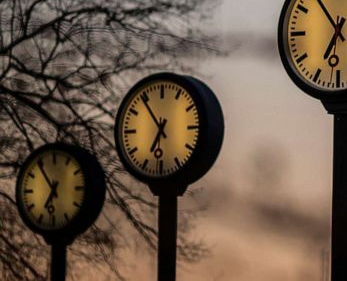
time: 6:54
